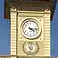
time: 4:14
